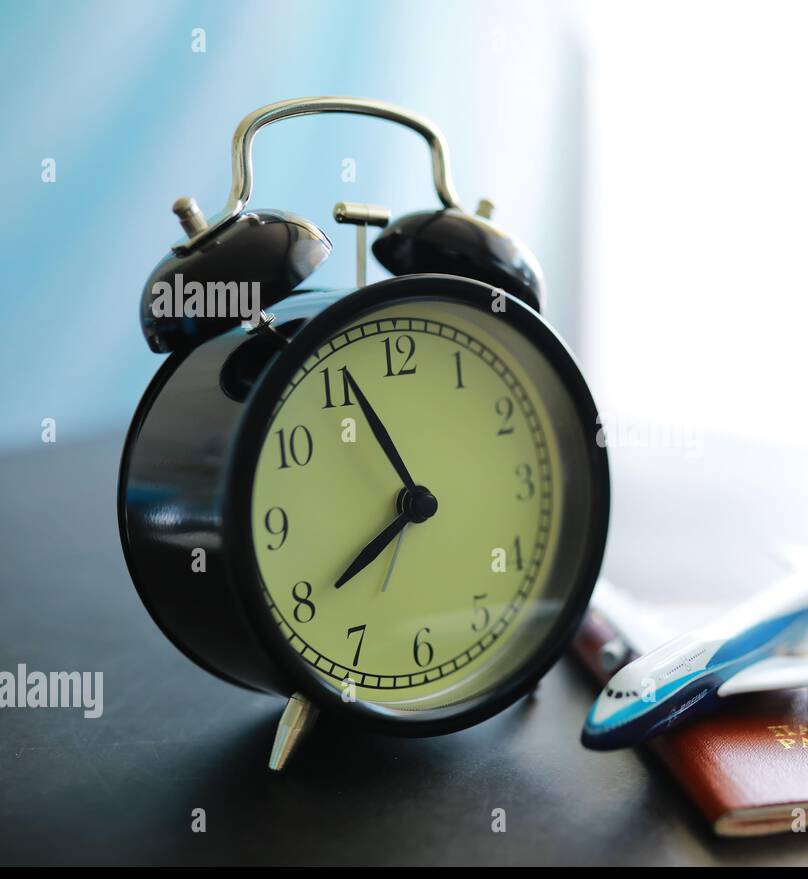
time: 7:55
